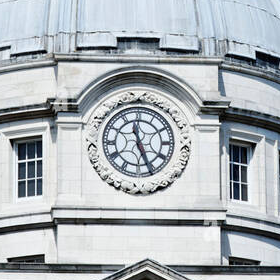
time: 11:25
